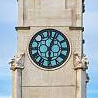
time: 6:03
